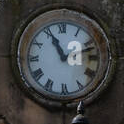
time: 10:55
